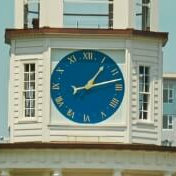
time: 1:12
